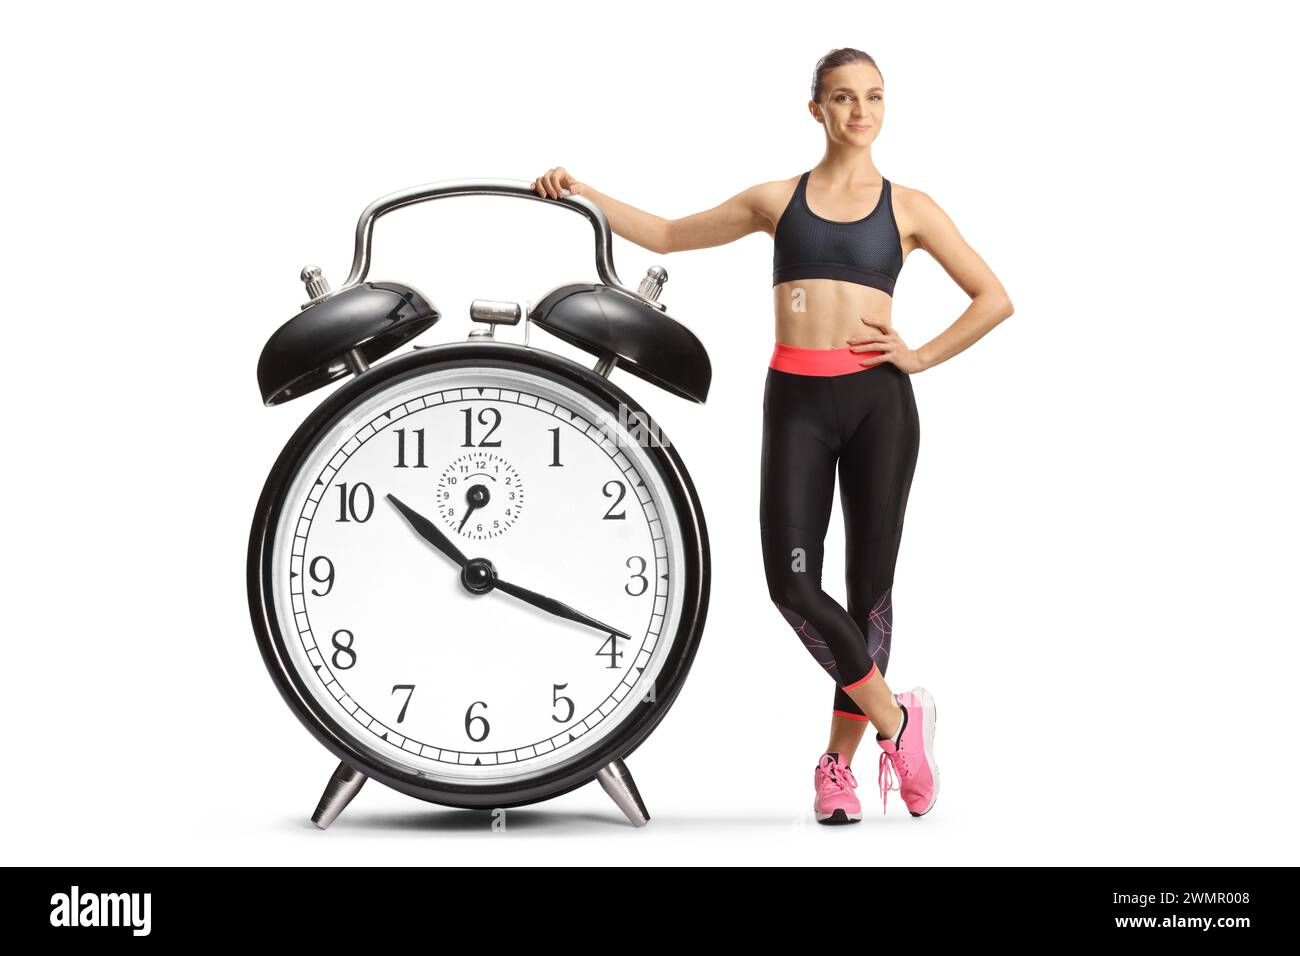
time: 10:18
